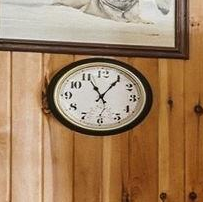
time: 11:05
